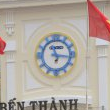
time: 11:16
